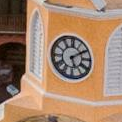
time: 5:09
